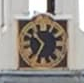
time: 10:34
